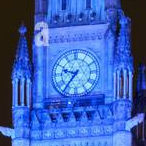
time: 9:36
